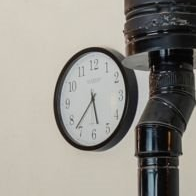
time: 5:36
